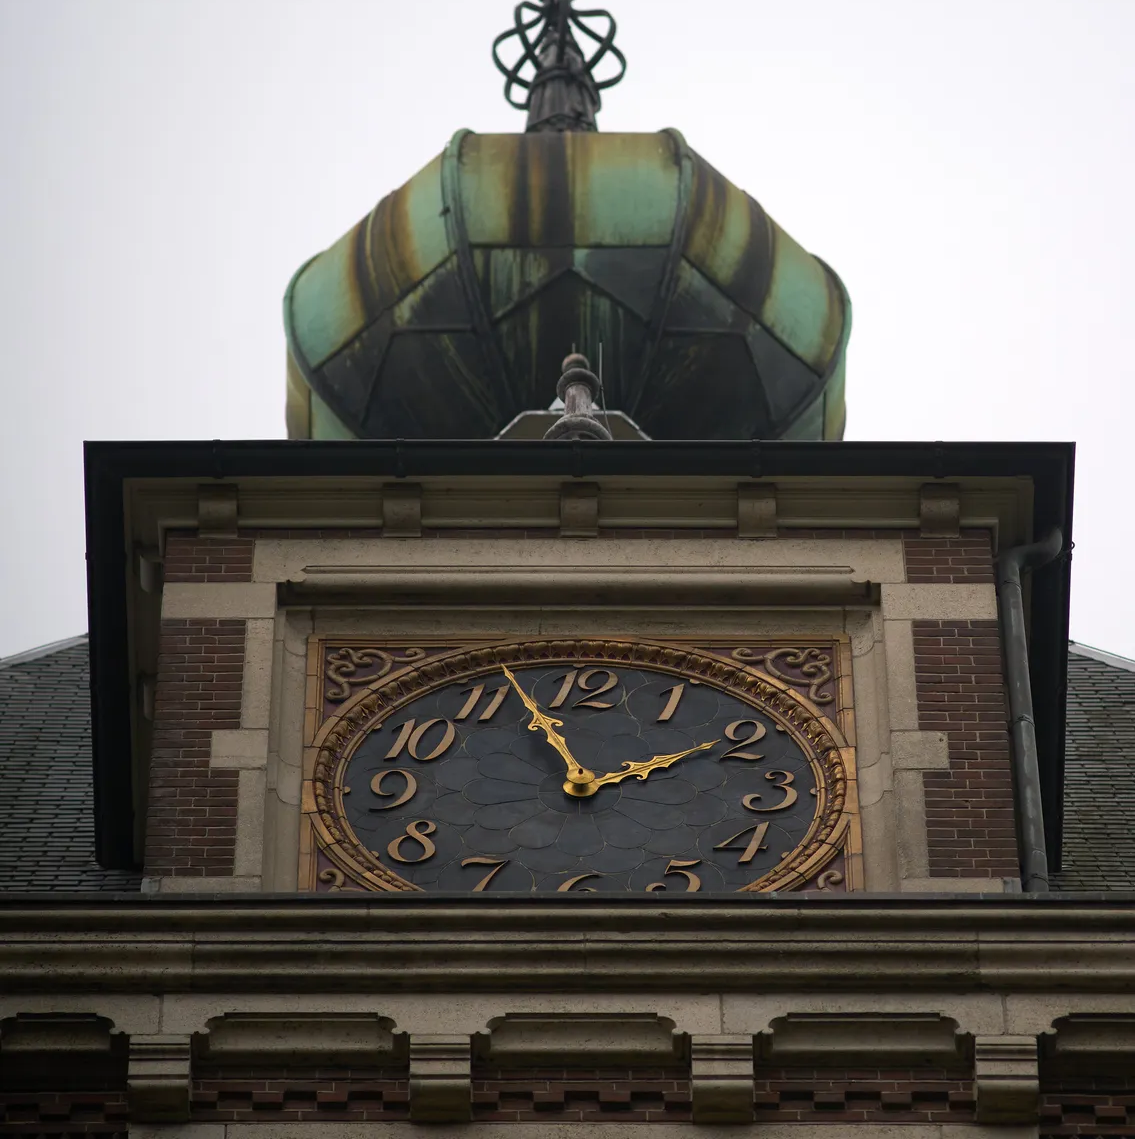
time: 1:56
